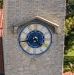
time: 4:42
